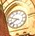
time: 7:48
